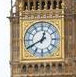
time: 12:40
